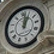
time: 1:02
